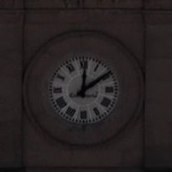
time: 12:09
